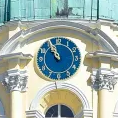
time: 10:56
